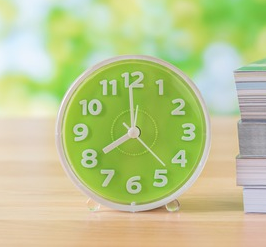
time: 7:59
